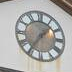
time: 1:36
